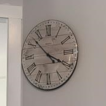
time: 3:52
